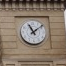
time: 11:08
